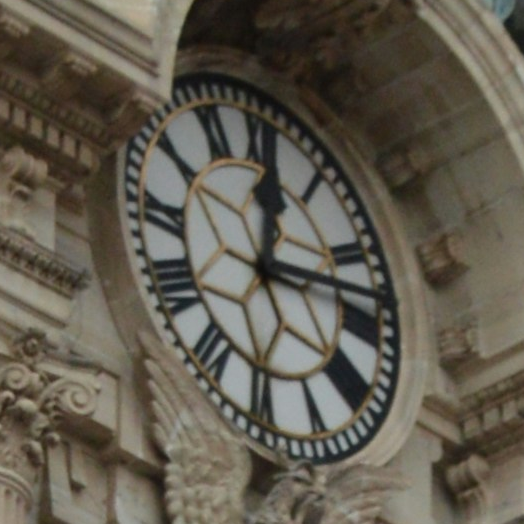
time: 12:13
